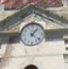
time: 1:21
